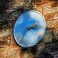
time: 2:36
